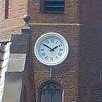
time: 1:50
